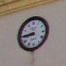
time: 8:44
